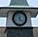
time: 12:22
